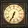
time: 6:34
